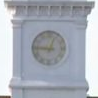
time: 12:45
